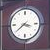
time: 3:39
